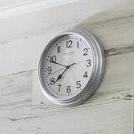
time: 7:49
